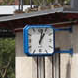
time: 1:02
